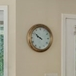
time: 9:51
